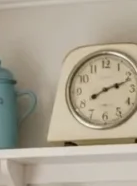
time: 8:11
